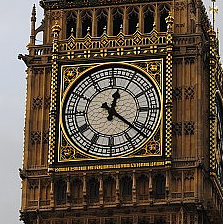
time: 12:21
